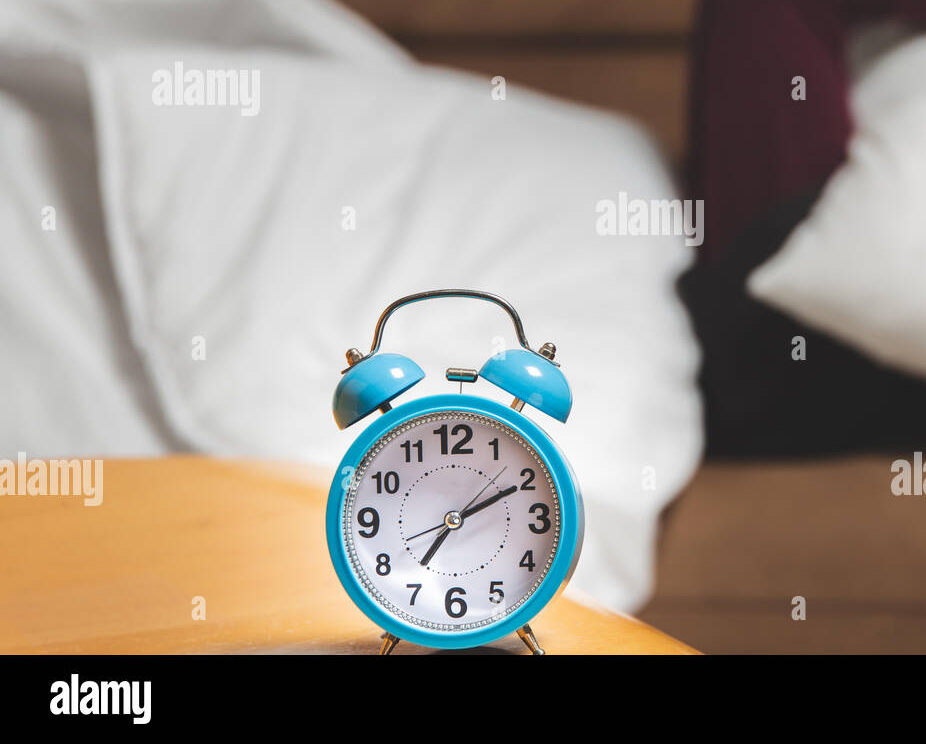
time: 7:10
